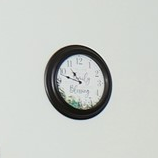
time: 10:47
